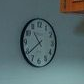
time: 10:38
